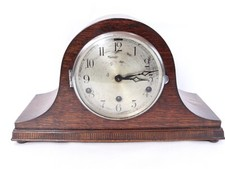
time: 3:13
